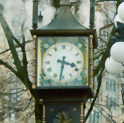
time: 3:31
